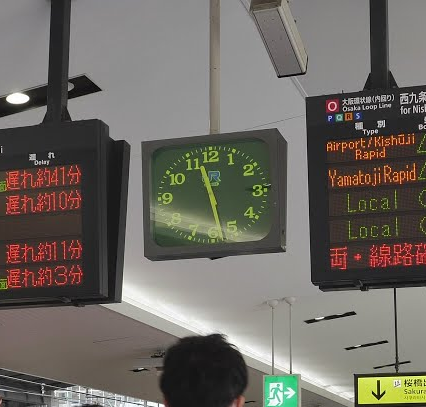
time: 11:28
